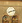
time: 8:12
